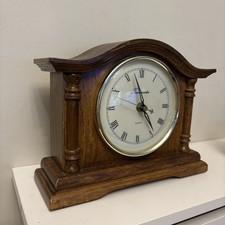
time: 4:57
